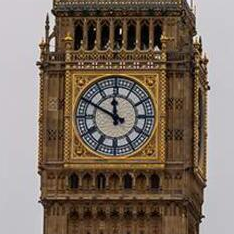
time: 11:49
